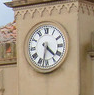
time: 4:32
